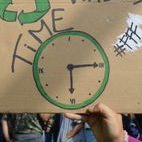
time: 6:15
